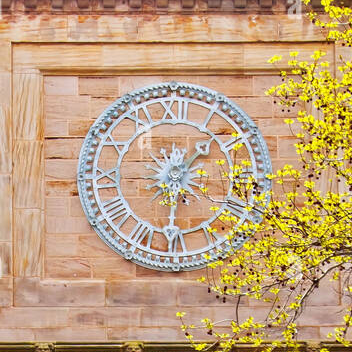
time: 1:31
